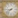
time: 8:38
